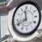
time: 11:41
